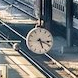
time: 5:18
